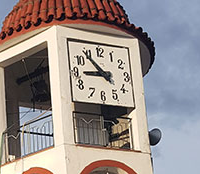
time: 8:53
